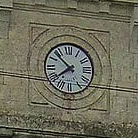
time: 7:52
